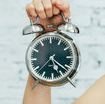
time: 5:22
